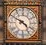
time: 4:49
